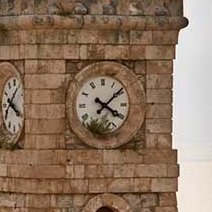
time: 4:08
